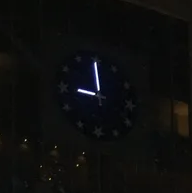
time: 8:59
